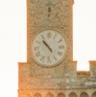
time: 10:53
